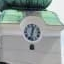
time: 12:32
